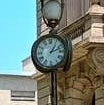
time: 1:11
